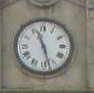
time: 11:27
